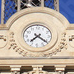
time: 7:21
